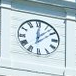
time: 12:07
